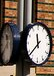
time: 11:37
